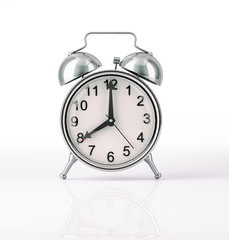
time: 8:00
